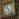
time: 11:24
